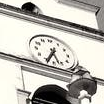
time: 5:34
